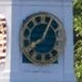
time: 8:04
